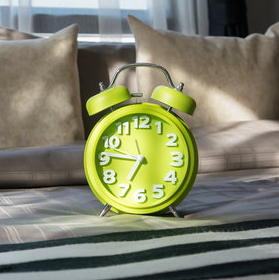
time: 6:46
